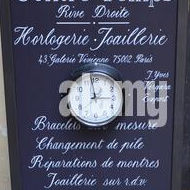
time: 2:58
